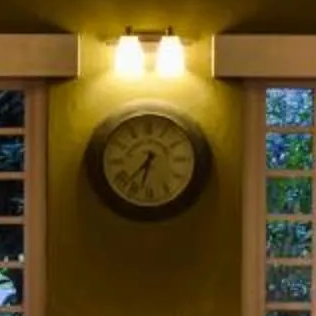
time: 6:36
